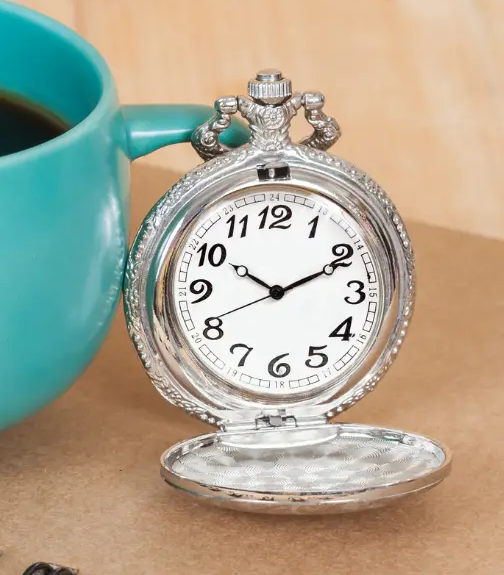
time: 10:10
